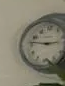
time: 2:46
